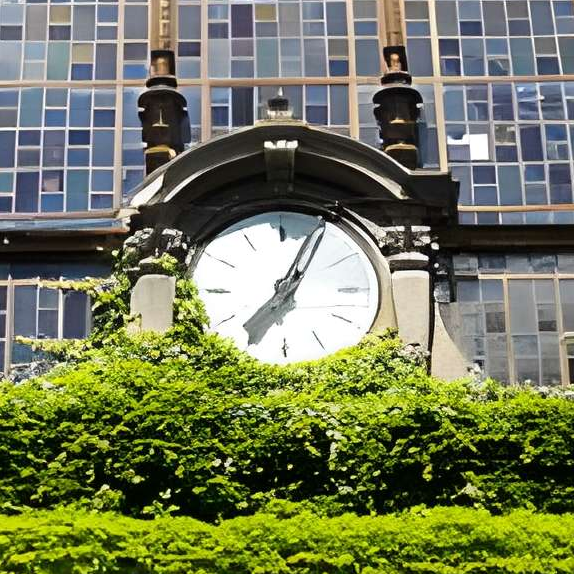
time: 7:04
